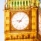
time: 9:07
